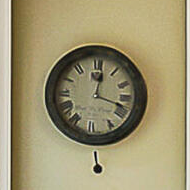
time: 12:17
